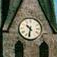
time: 10:32
